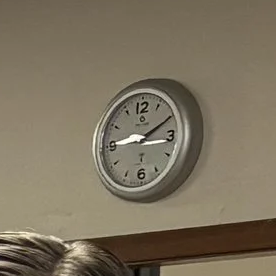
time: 9:10
